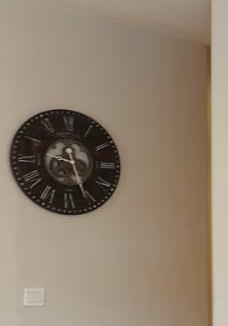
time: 9:26
